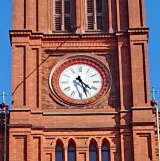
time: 4:26
